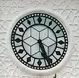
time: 5:26
